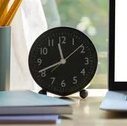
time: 11:41
